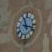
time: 11:17
